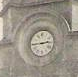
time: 2:43
